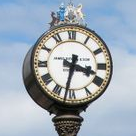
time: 3:32
